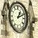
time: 1:11
